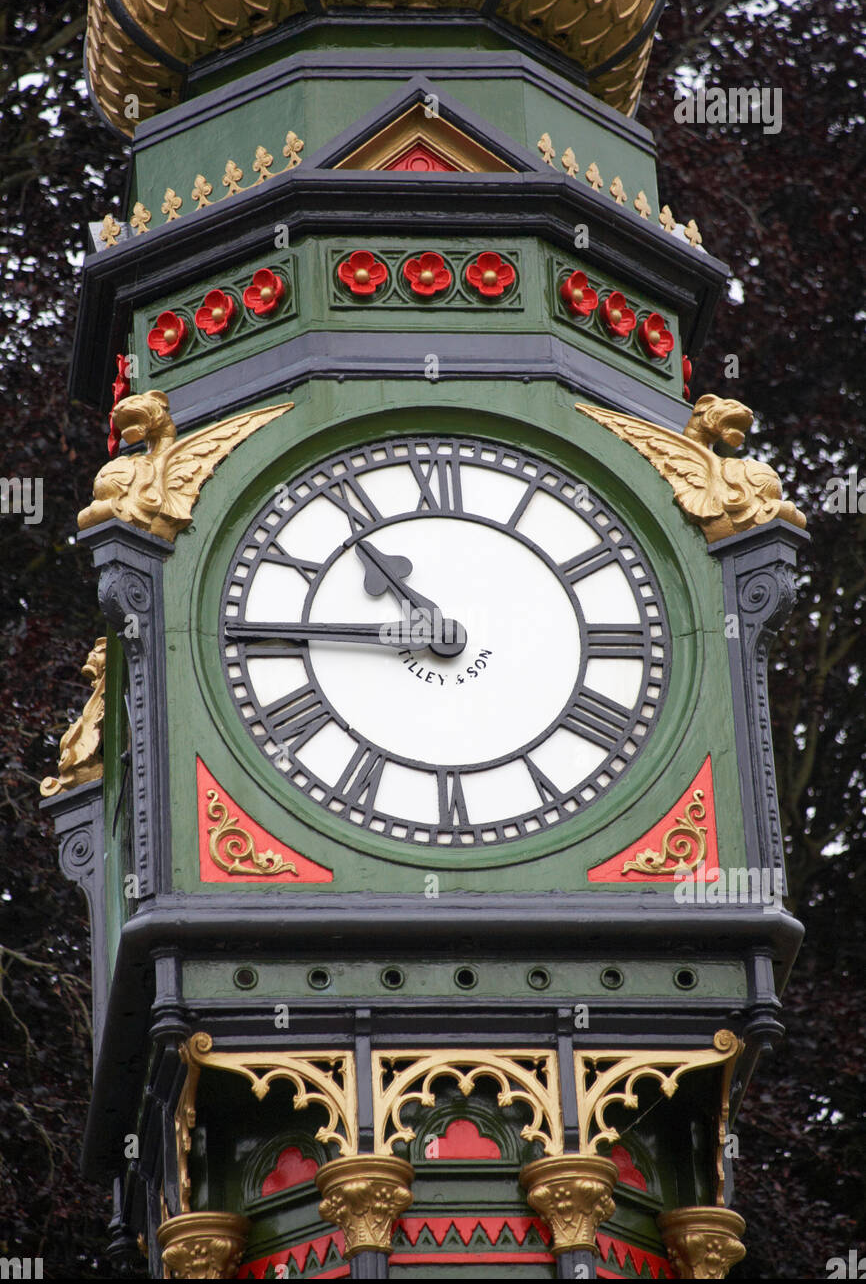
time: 10:45
